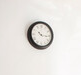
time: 10:15
